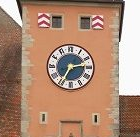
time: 2:34
